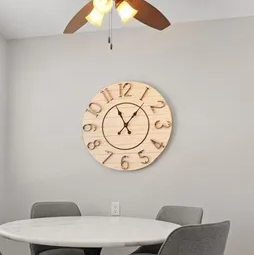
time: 11:06
